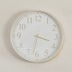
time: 3:32
